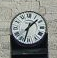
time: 1:32
